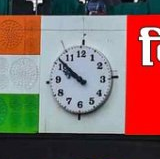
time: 9:51
